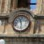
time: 11:28
